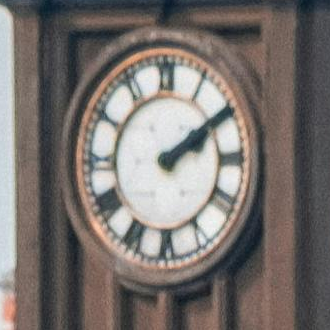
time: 2:09
